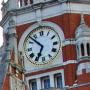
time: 6:52
